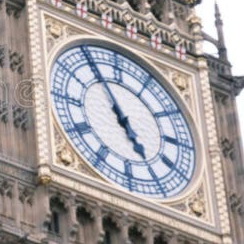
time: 4:55
